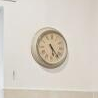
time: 5:23
